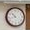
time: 10:42
